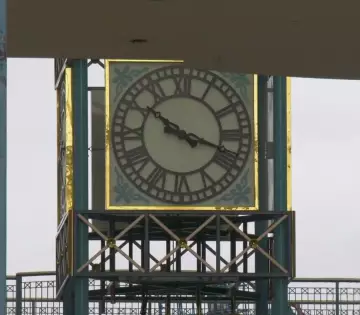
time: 10:18
